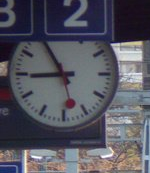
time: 8:54
